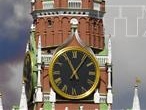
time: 11:06
